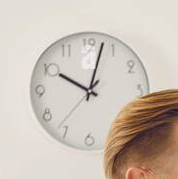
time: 10:02
